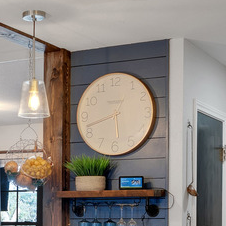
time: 5:42
